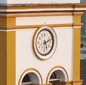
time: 5:11
